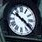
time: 10:21
